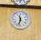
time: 11:32
